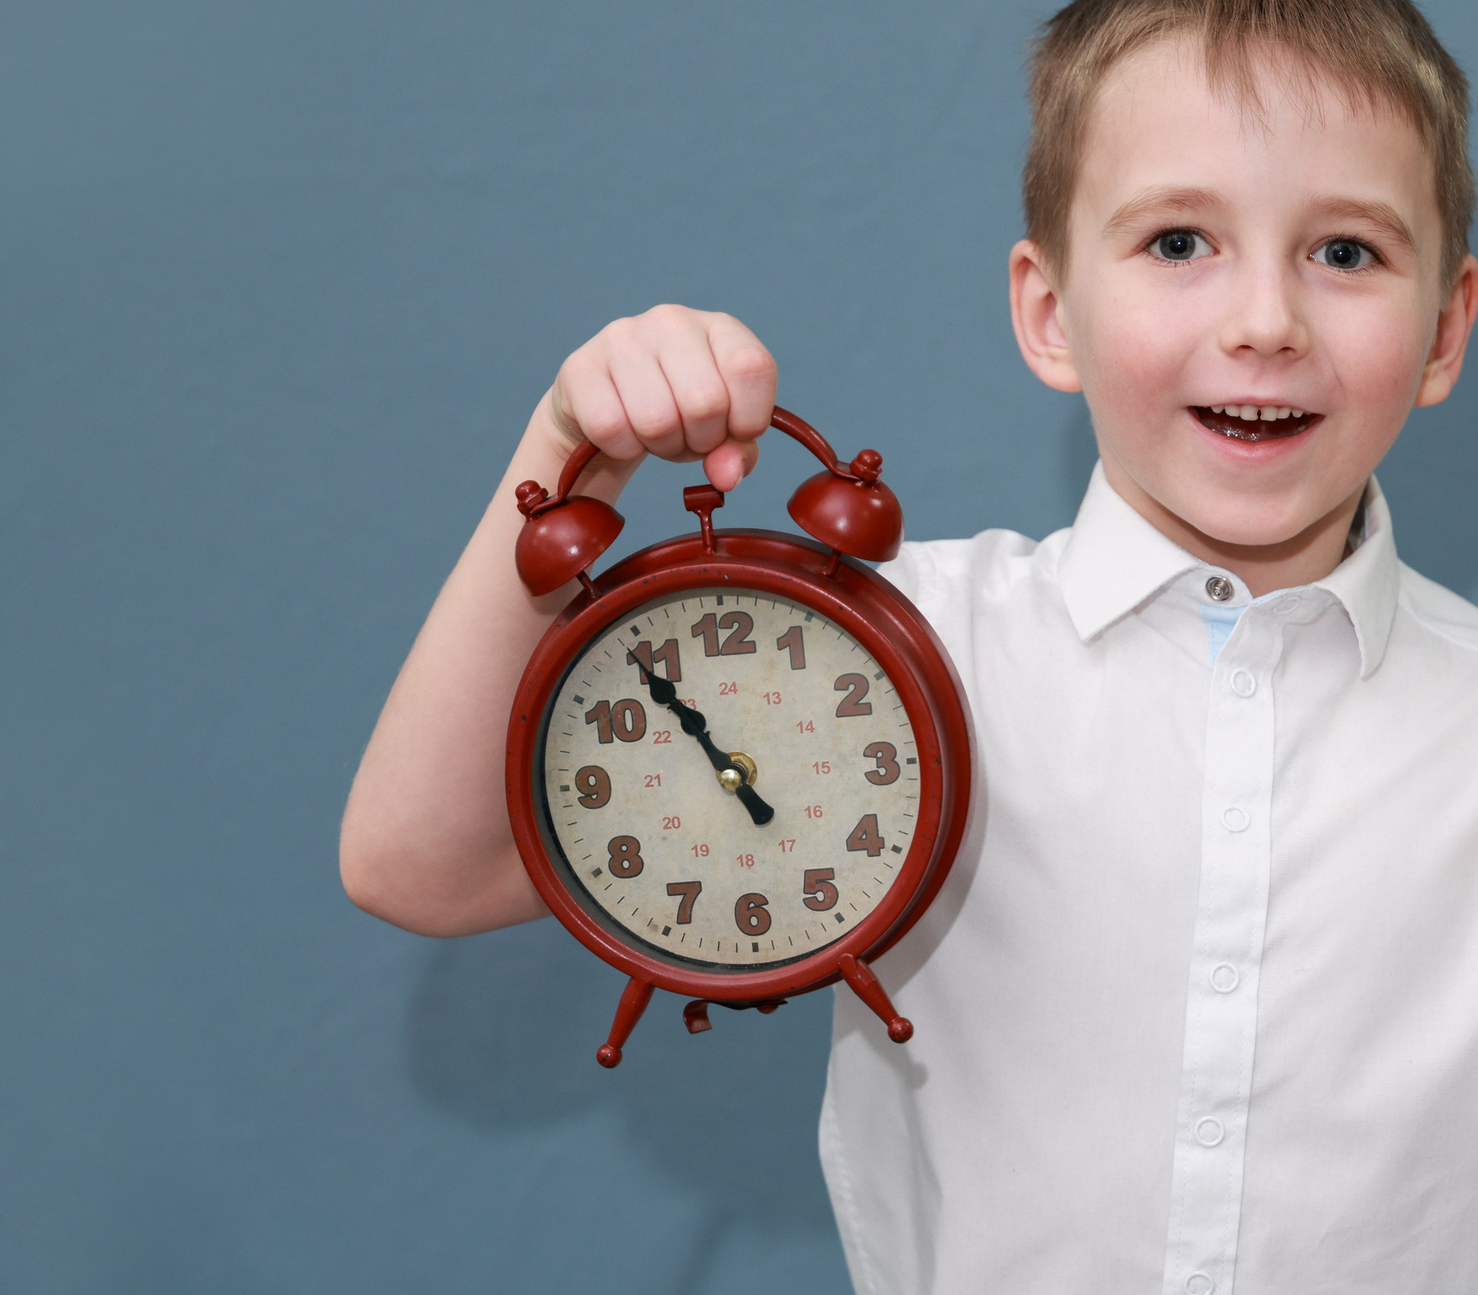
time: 10:54
